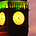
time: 4:36
